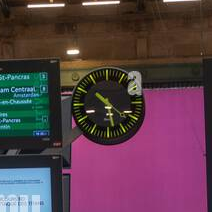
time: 10:28
